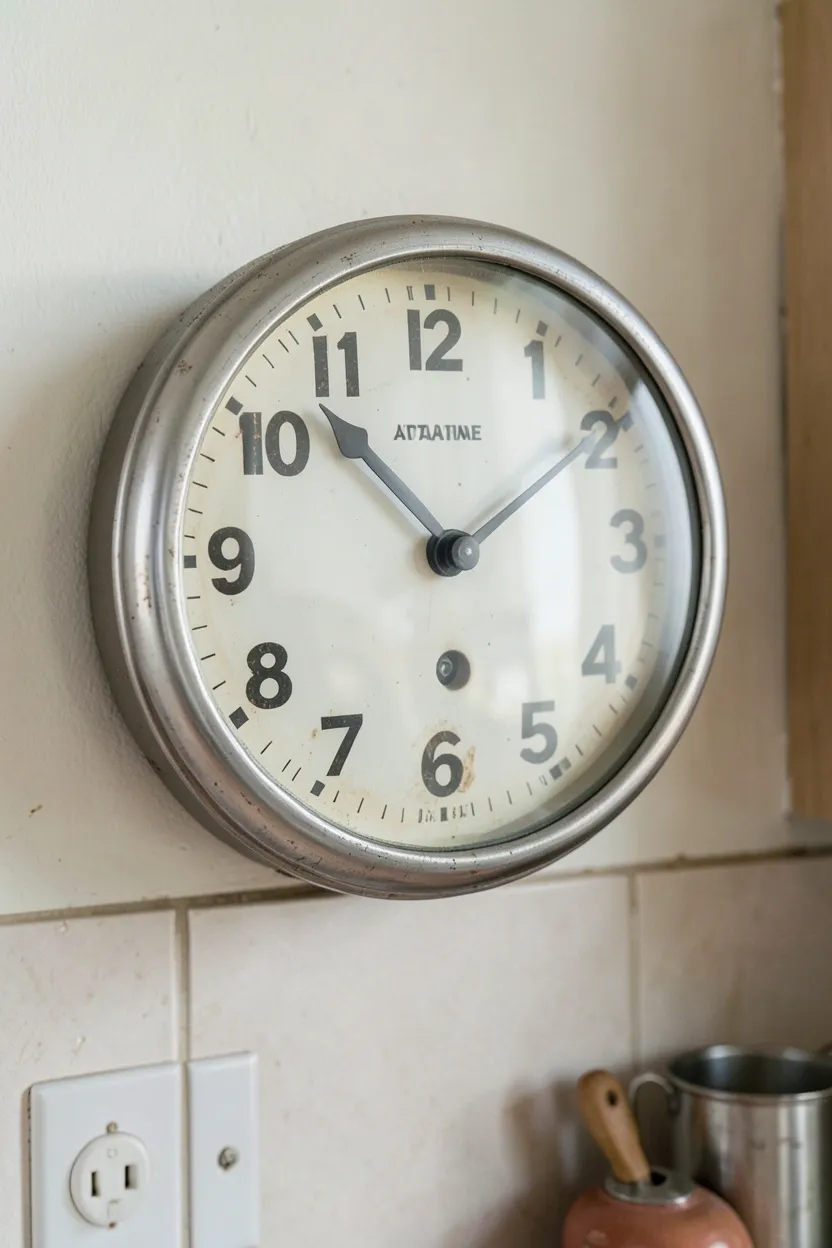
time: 1:52
